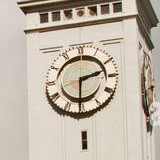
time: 2:30
